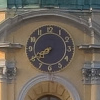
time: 7:40
